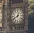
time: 12:40
